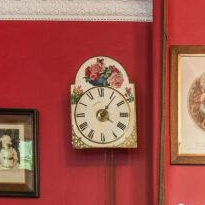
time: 4:06
